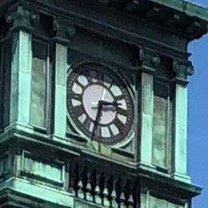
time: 2:33
